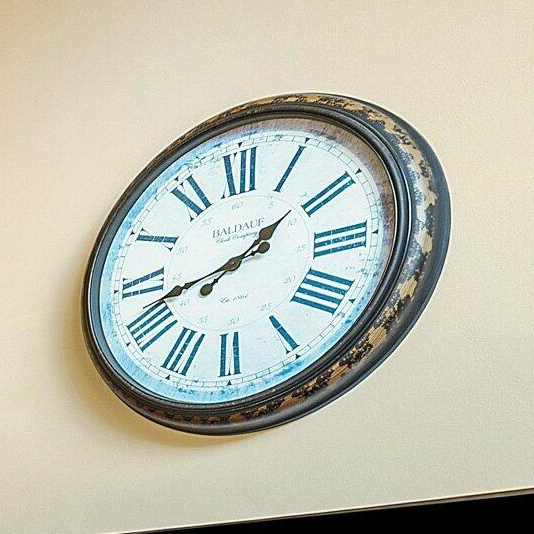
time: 1:42
